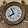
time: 7:55
